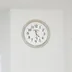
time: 4:28
